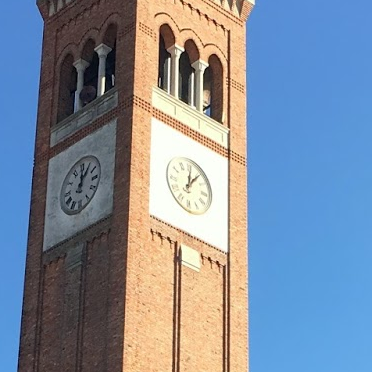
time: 12:07
